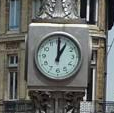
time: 1:00
